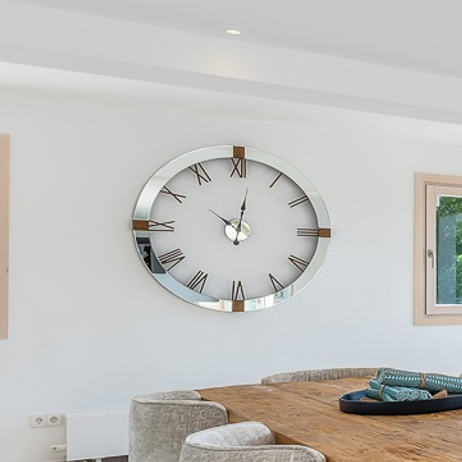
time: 10:01
